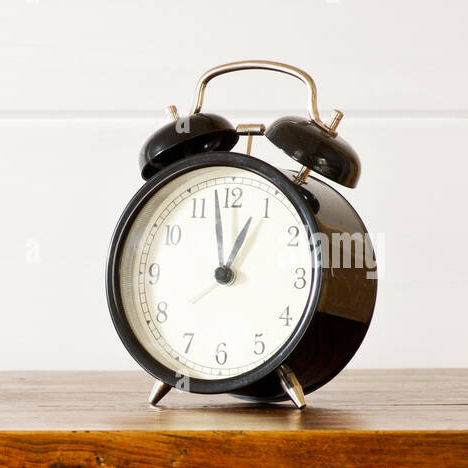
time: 12:58
